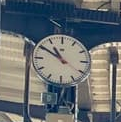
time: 10:50
